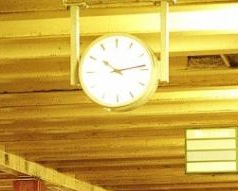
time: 10:13
